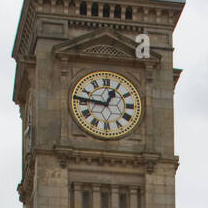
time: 12:46
